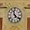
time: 11:21
